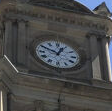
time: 12:49
